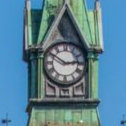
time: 2:50
